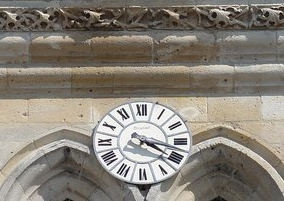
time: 4:17
